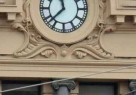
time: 11:37
